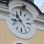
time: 10:43
